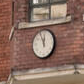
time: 11:55
